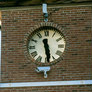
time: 11:28
